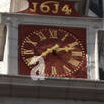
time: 2:38
